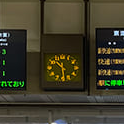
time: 10:28
